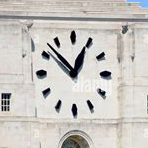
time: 12:52
